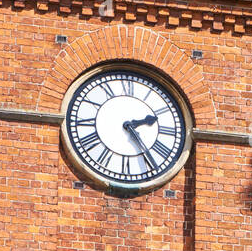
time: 2:24
